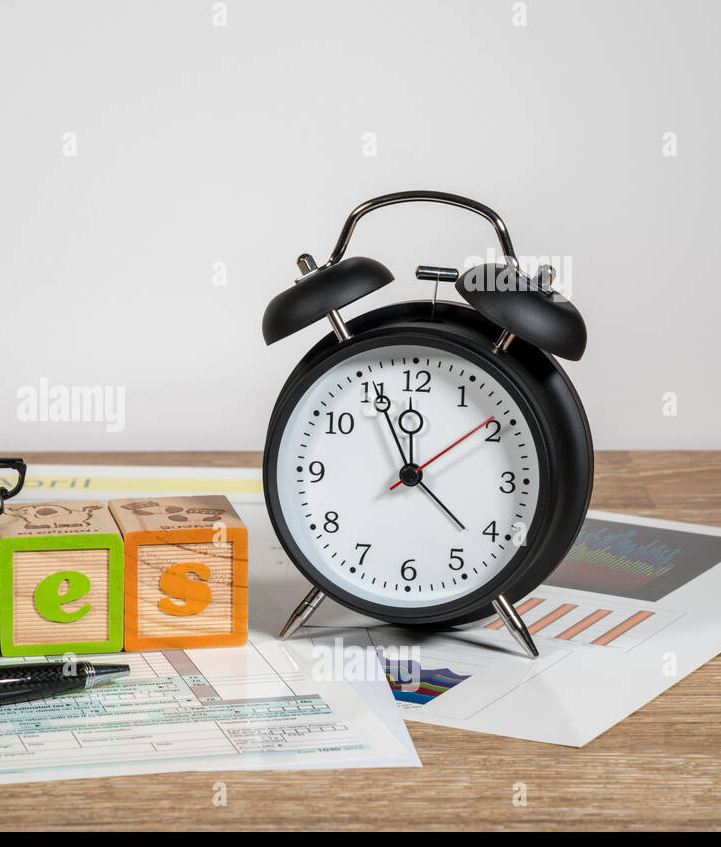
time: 11:55
